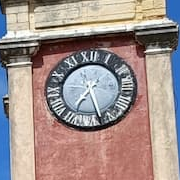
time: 7:27
